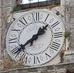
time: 1:39
